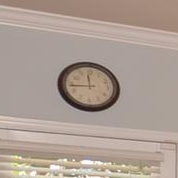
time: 11:43
